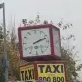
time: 2:11
